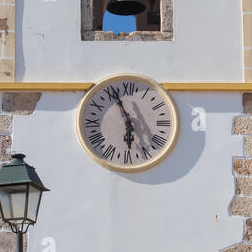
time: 5:56
